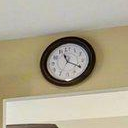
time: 11:19
